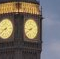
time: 8:40
